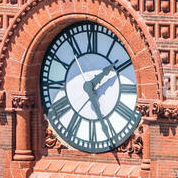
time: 1:26
